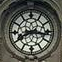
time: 8:16
